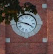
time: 3:46
